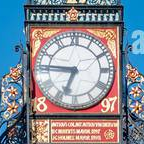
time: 6:45
